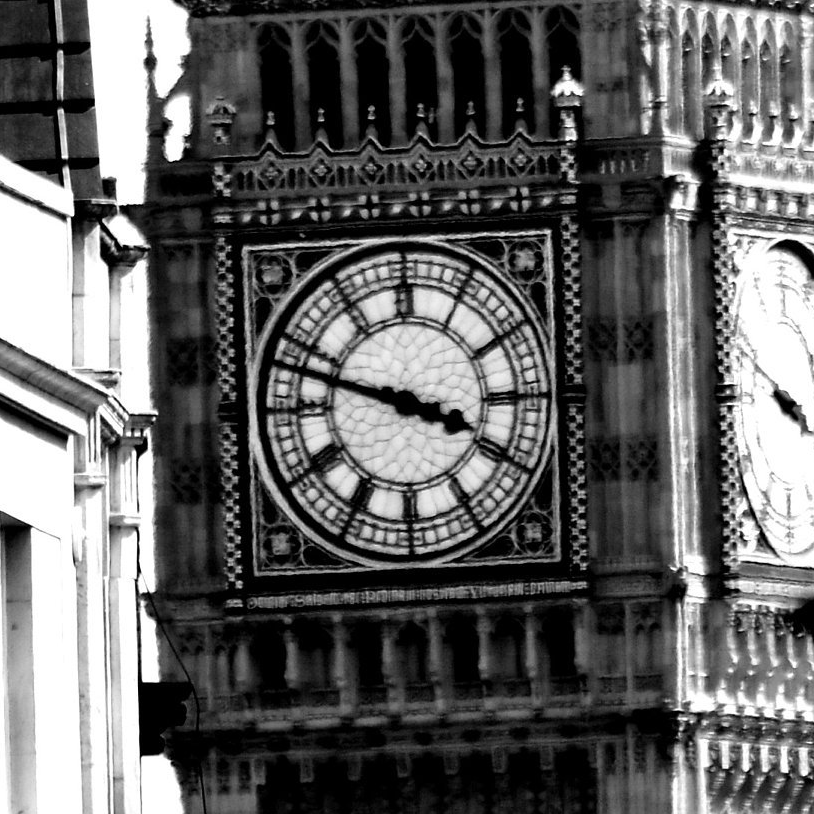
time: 3:47
